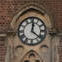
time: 12:21
